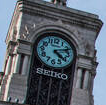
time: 4:11
